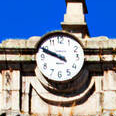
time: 9:48
